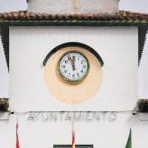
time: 11:55
